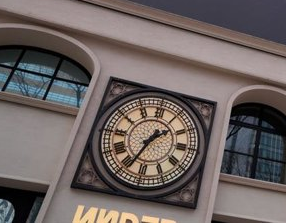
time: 1:33
